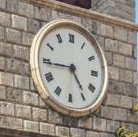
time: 4:44
